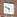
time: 5:49
